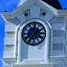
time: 1:36
